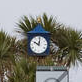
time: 10:00
